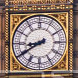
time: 8:39
